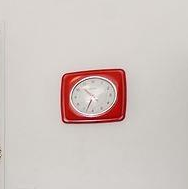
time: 10:33
